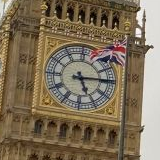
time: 5:14
